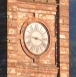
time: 9:16
